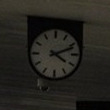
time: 4:11
